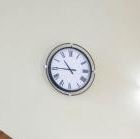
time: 10:45
